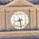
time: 8:28
